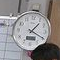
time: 1:20
